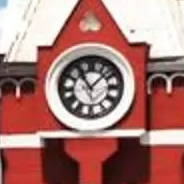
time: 11:07
